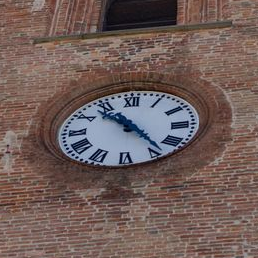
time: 10:23
